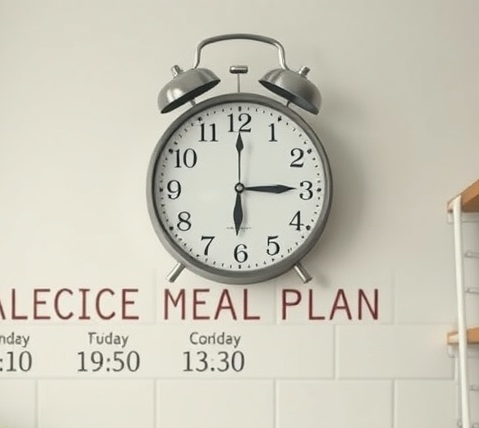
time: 6:14
